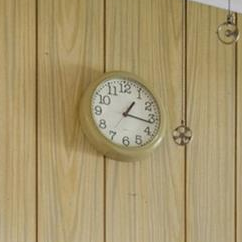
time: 1:16
